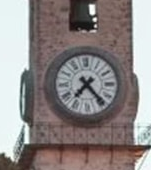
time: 7:23
